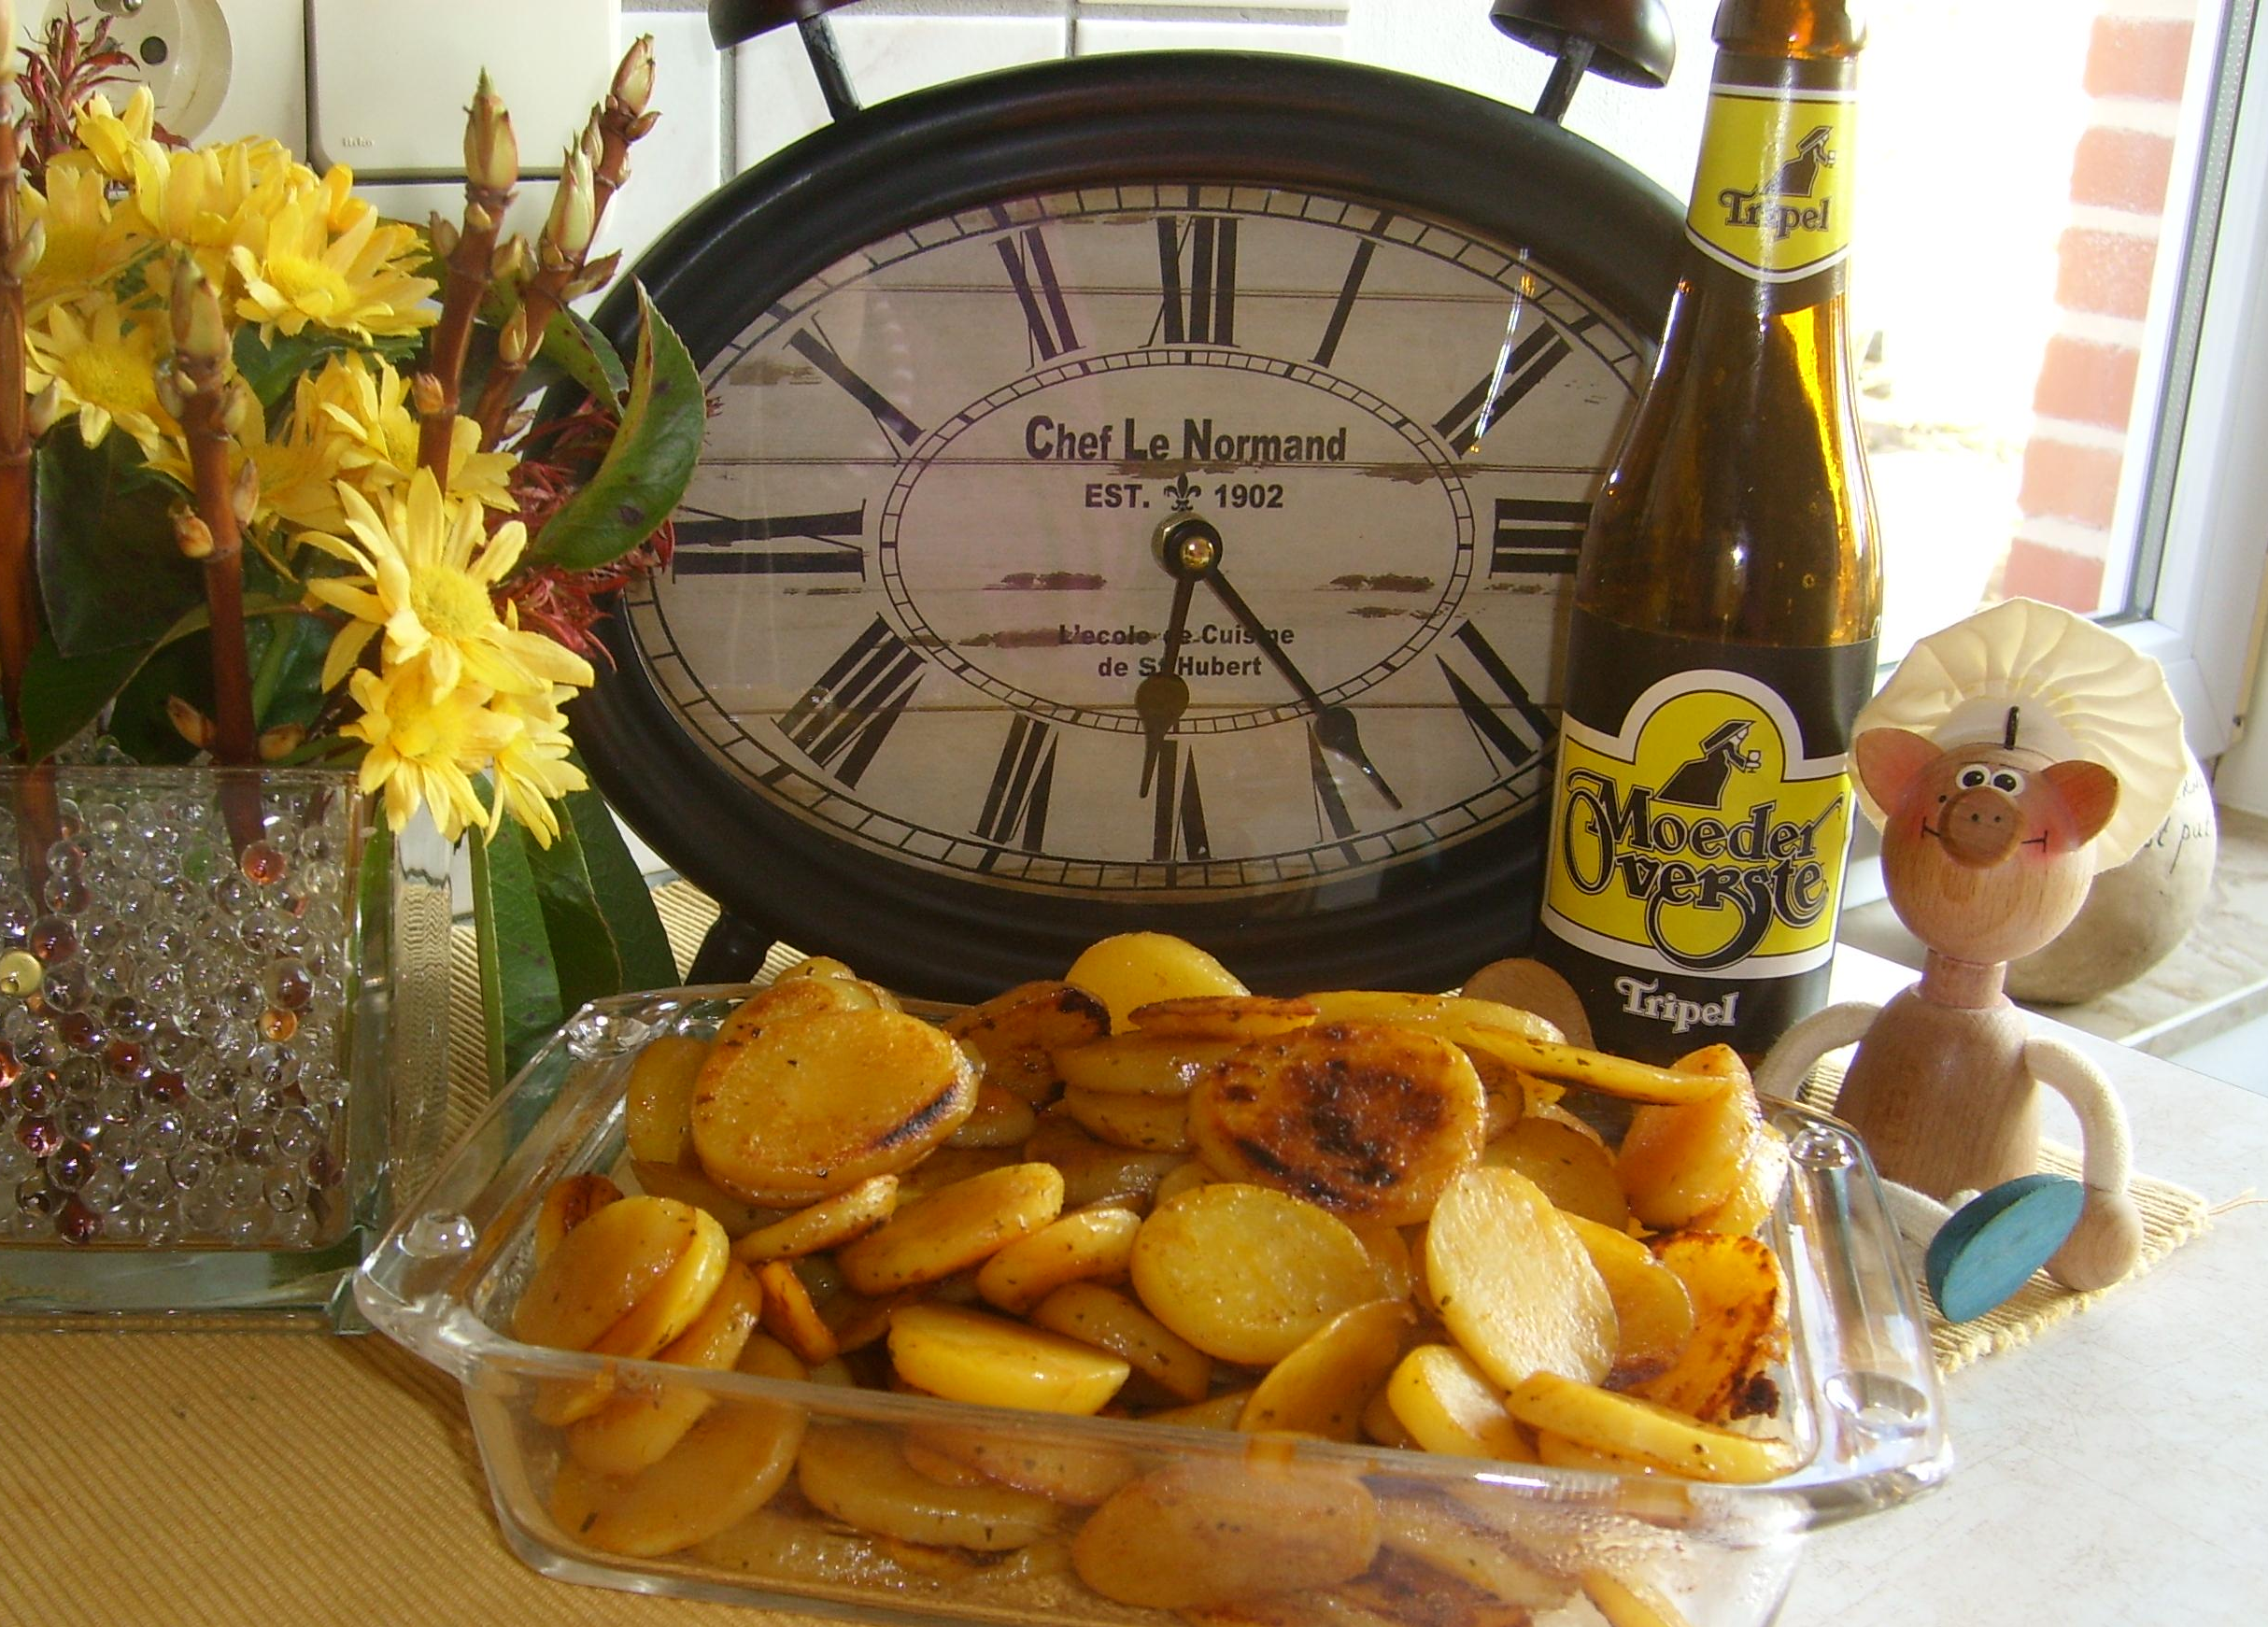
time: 6:23
